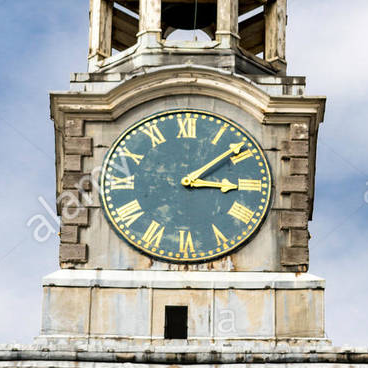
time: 3:08
